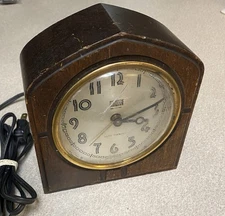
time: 3:11
